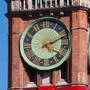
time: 4:10
